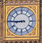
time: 8:45
